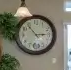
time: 2:53
